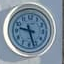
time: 9:27
